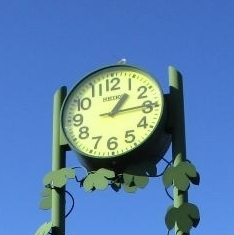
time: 1:14
